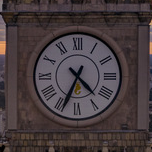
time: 4:34
